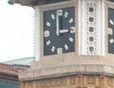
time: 12:14
